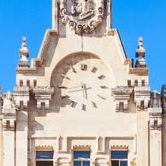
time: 5:43
